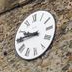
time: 9:45
